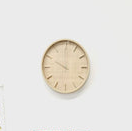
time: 10:00
